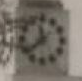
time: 11:38
